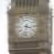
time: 3:32
